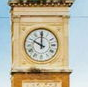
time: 10:00
